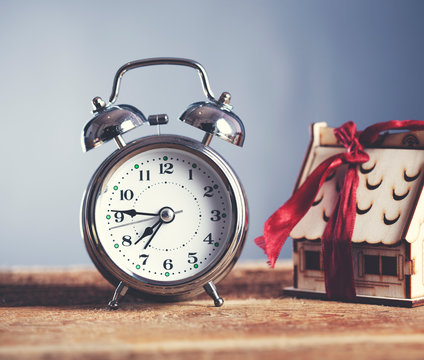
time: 7:46
